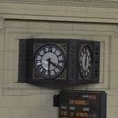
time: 6:20
